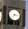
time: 7:15
